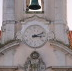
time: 3:11
